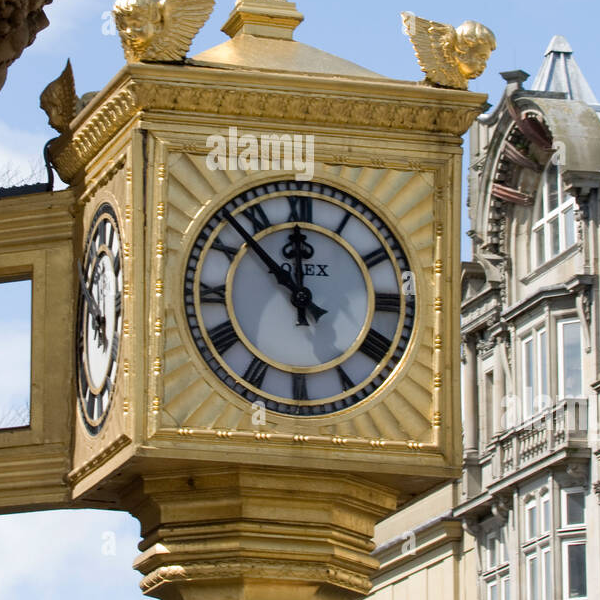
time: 11:52
